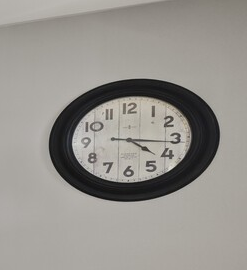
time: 4:16
